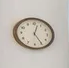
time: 12:24
